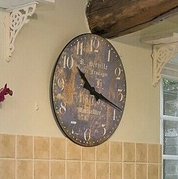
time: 10:18
